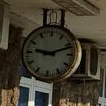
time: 9:11
